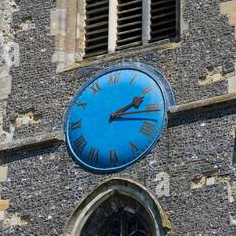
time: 2:17
